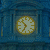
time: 10:34
